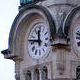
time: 11:46
